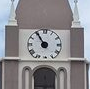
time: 10:55
